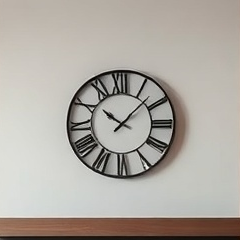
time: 10:07
